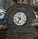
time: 10:36
